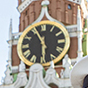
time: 5:55
